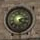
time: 4:13
